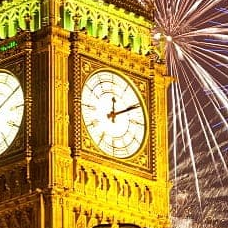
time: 12:10
